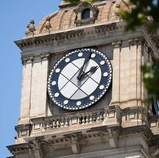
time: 2:03
